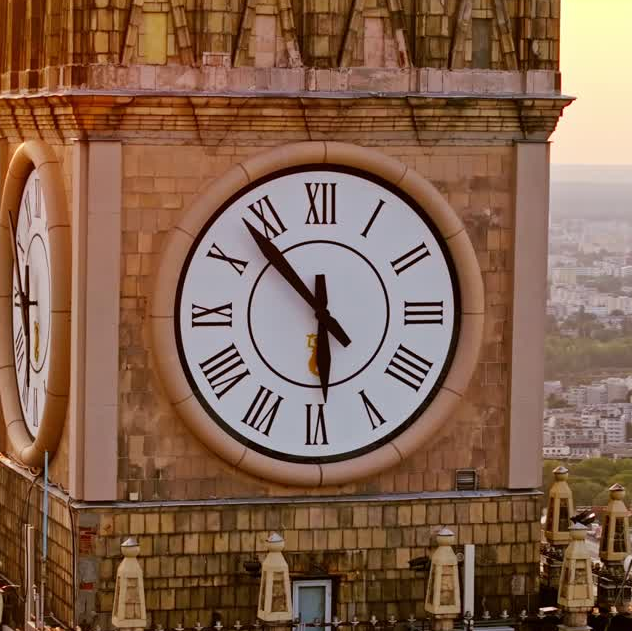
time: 5:53
